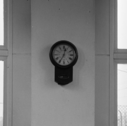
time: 12:34
